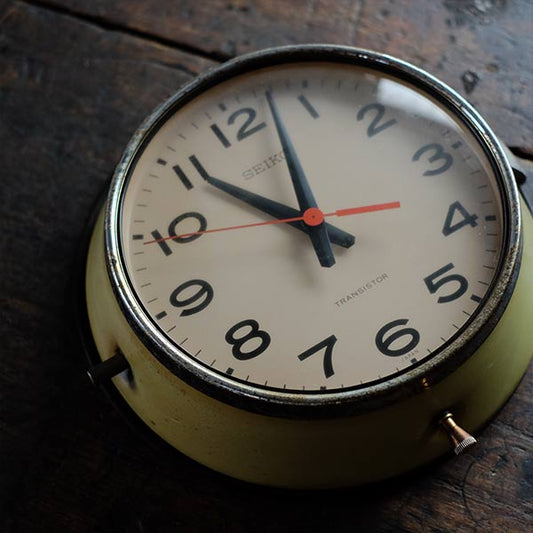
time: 9:57
